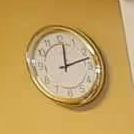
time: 12:12
